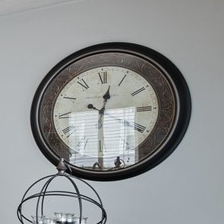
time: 12:28
